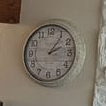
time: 2:06
